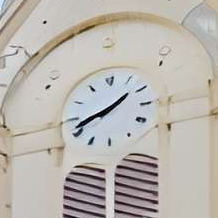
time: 1:41
